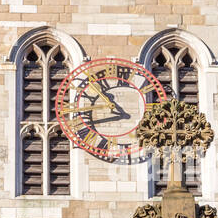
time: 10:42
